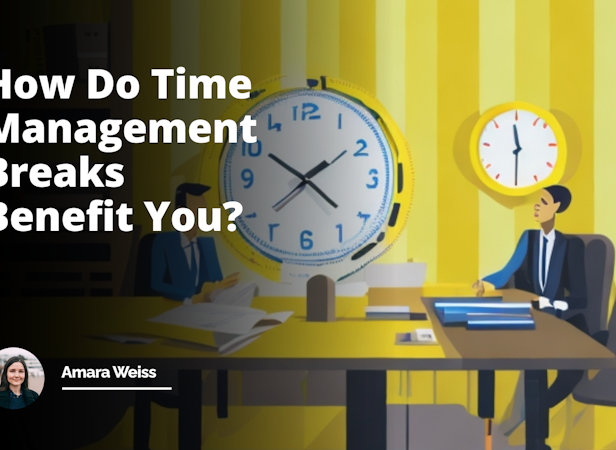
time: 1:50
